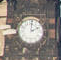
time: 2:01
